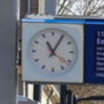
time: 11:05
